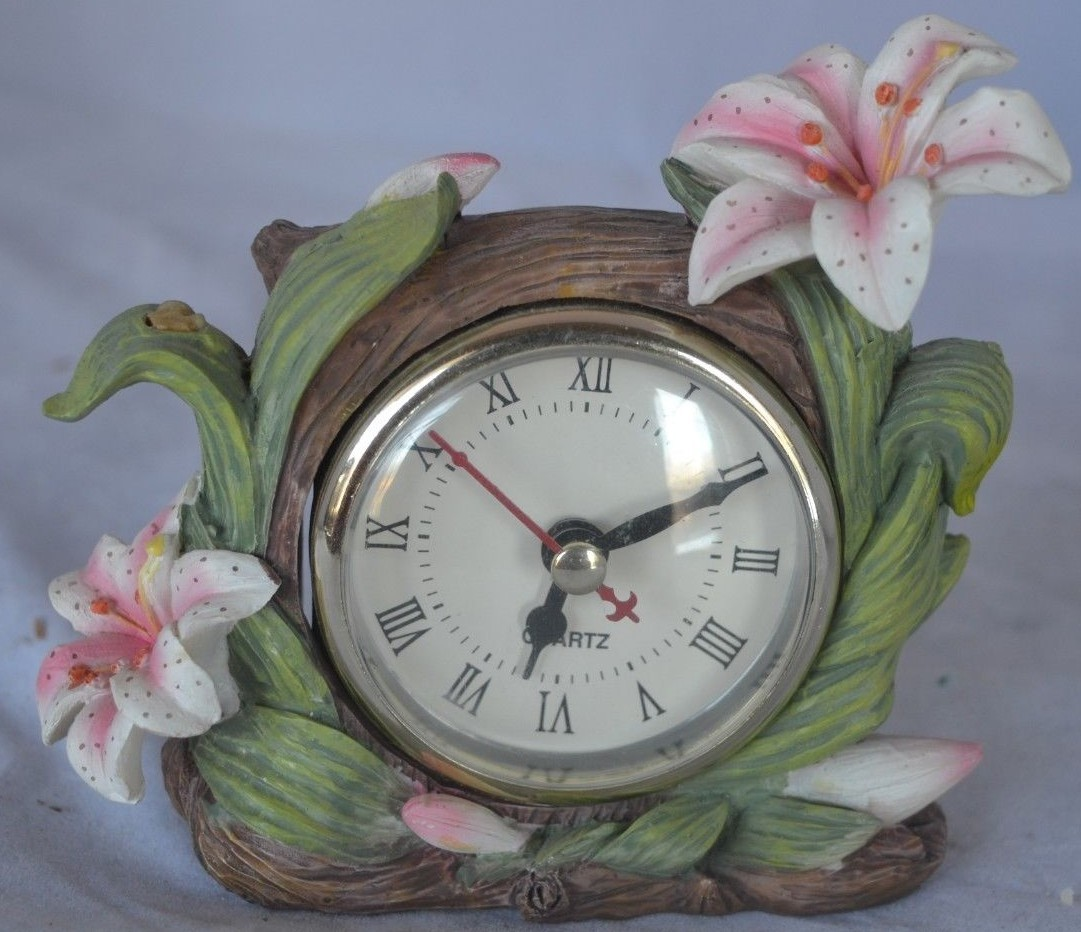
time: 6:10
